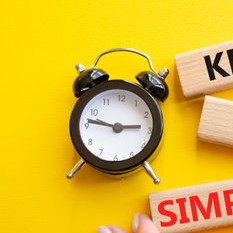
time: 2:46
